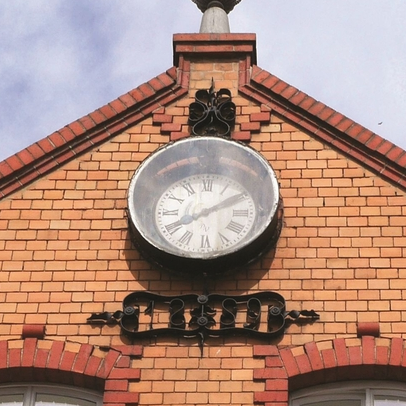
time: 8:09
